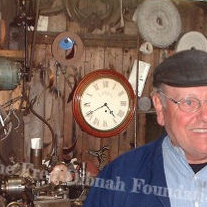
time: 4:40
